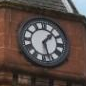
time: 1:27
